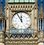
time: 11:54
